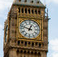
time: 12:47
